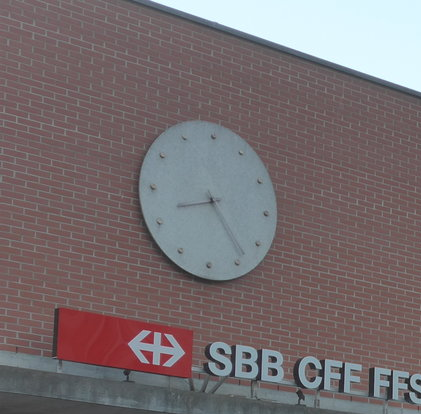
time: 8:23
